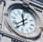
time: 11:37
